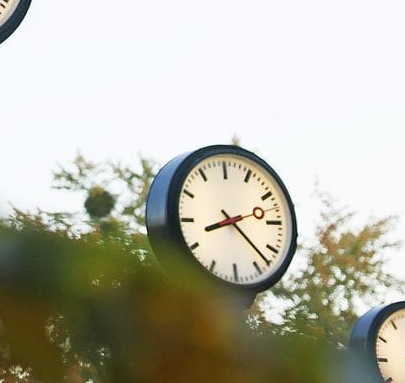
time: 8:22
